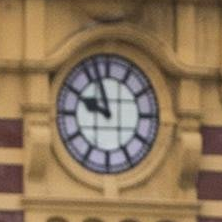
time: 9:57
